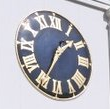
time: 1:34
